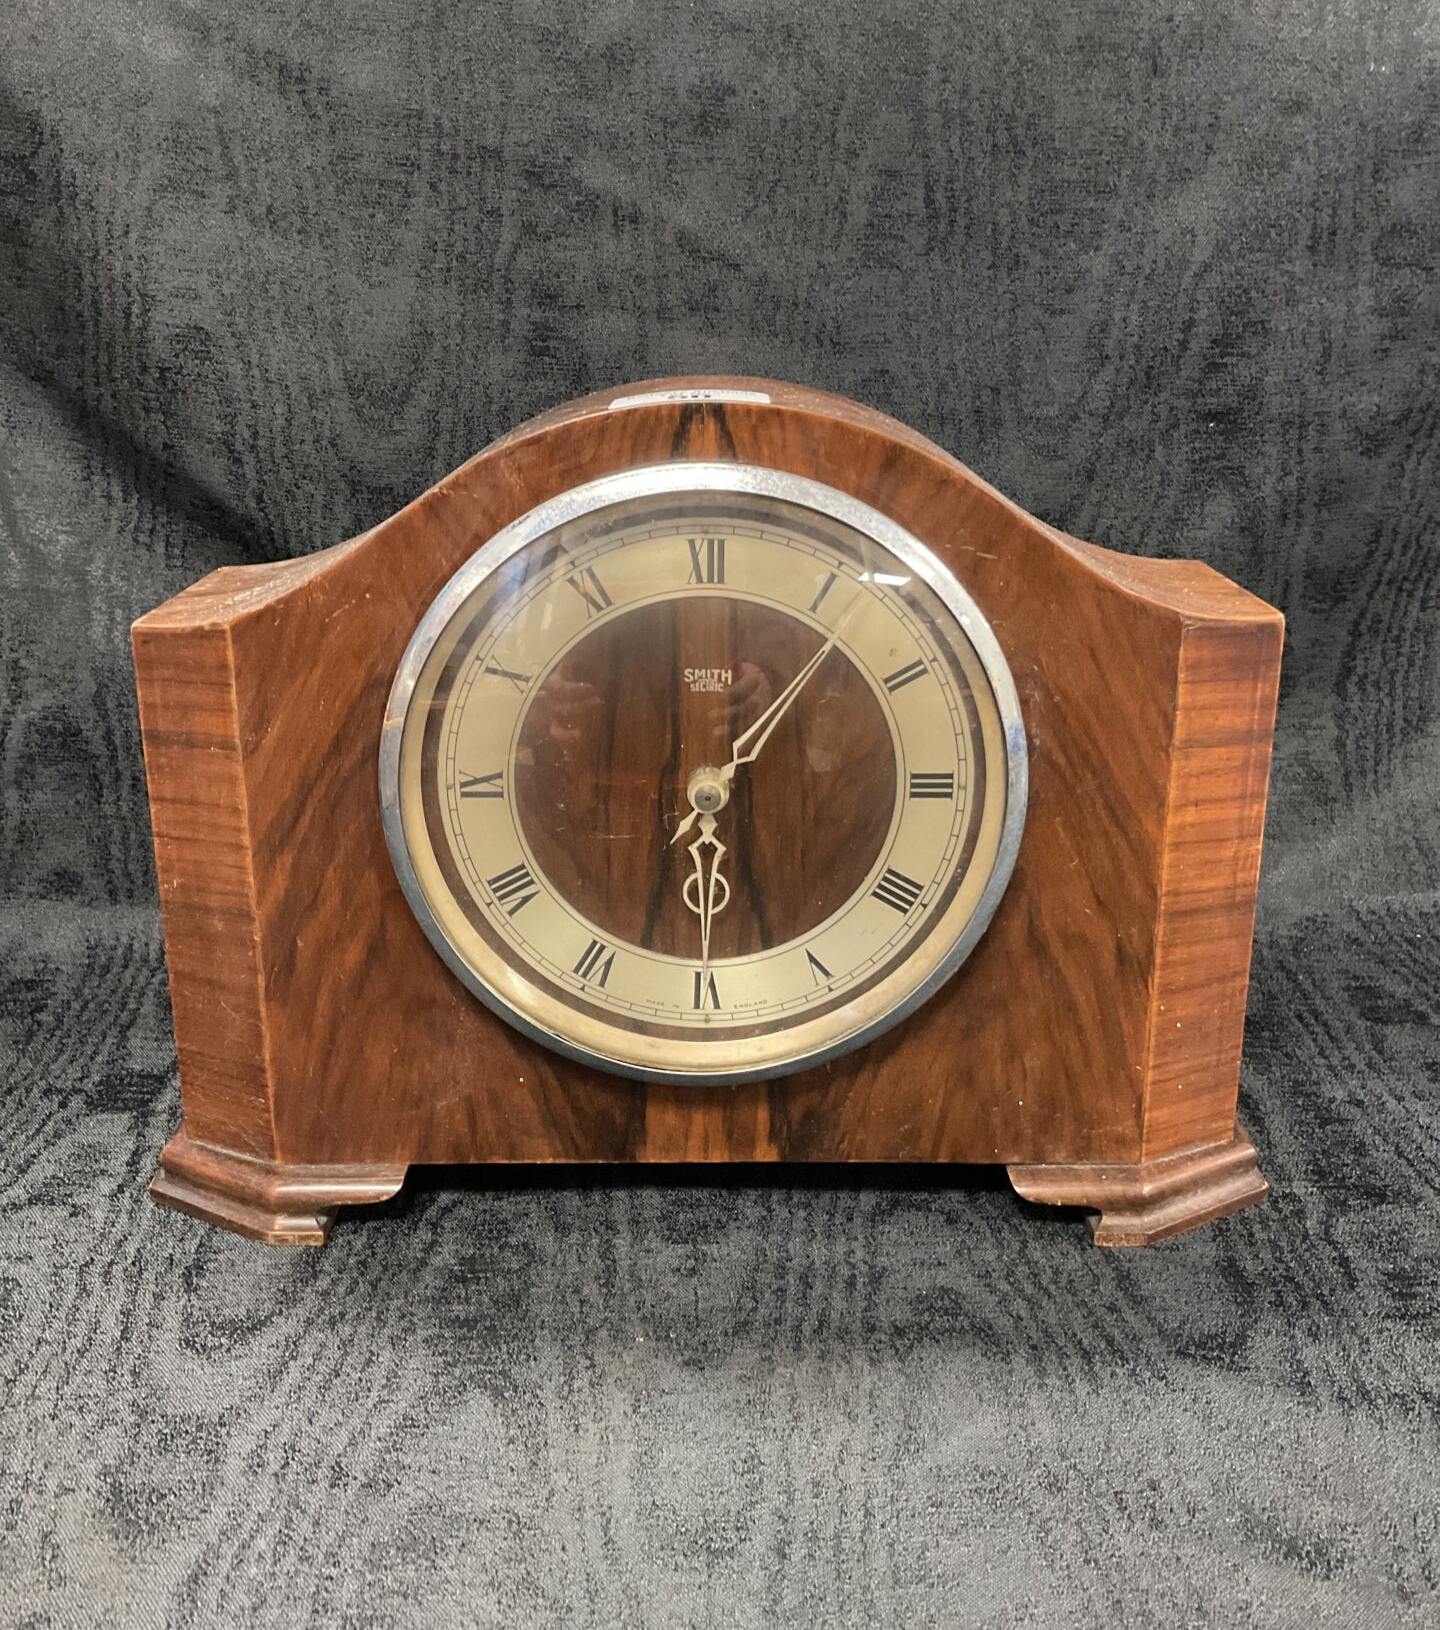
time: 6:06
